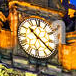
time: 10:21
